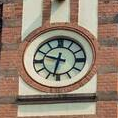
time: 9:32
